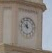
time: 11:51
